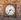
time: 7:17
